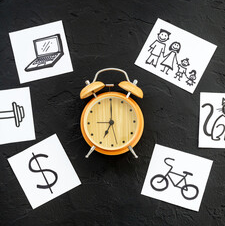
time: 7:00
